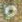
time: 7:00
